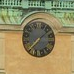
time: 7:07
